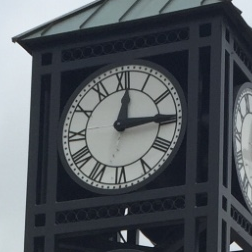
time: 12:14
